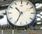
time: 10:34
